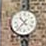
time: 10:37
